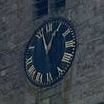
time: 12:57
